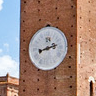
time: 8:12
